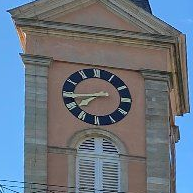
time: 7:43
